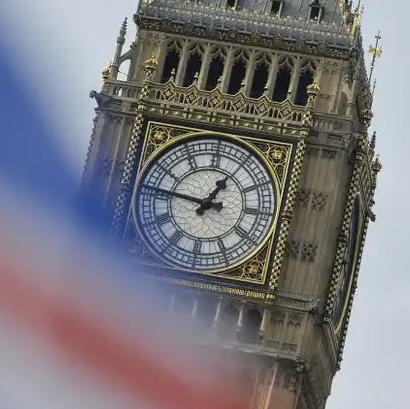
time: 12:46
